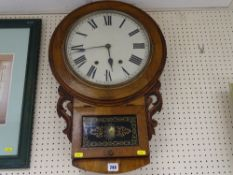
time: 5:43
